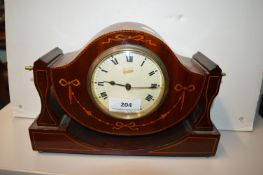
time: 9:15
